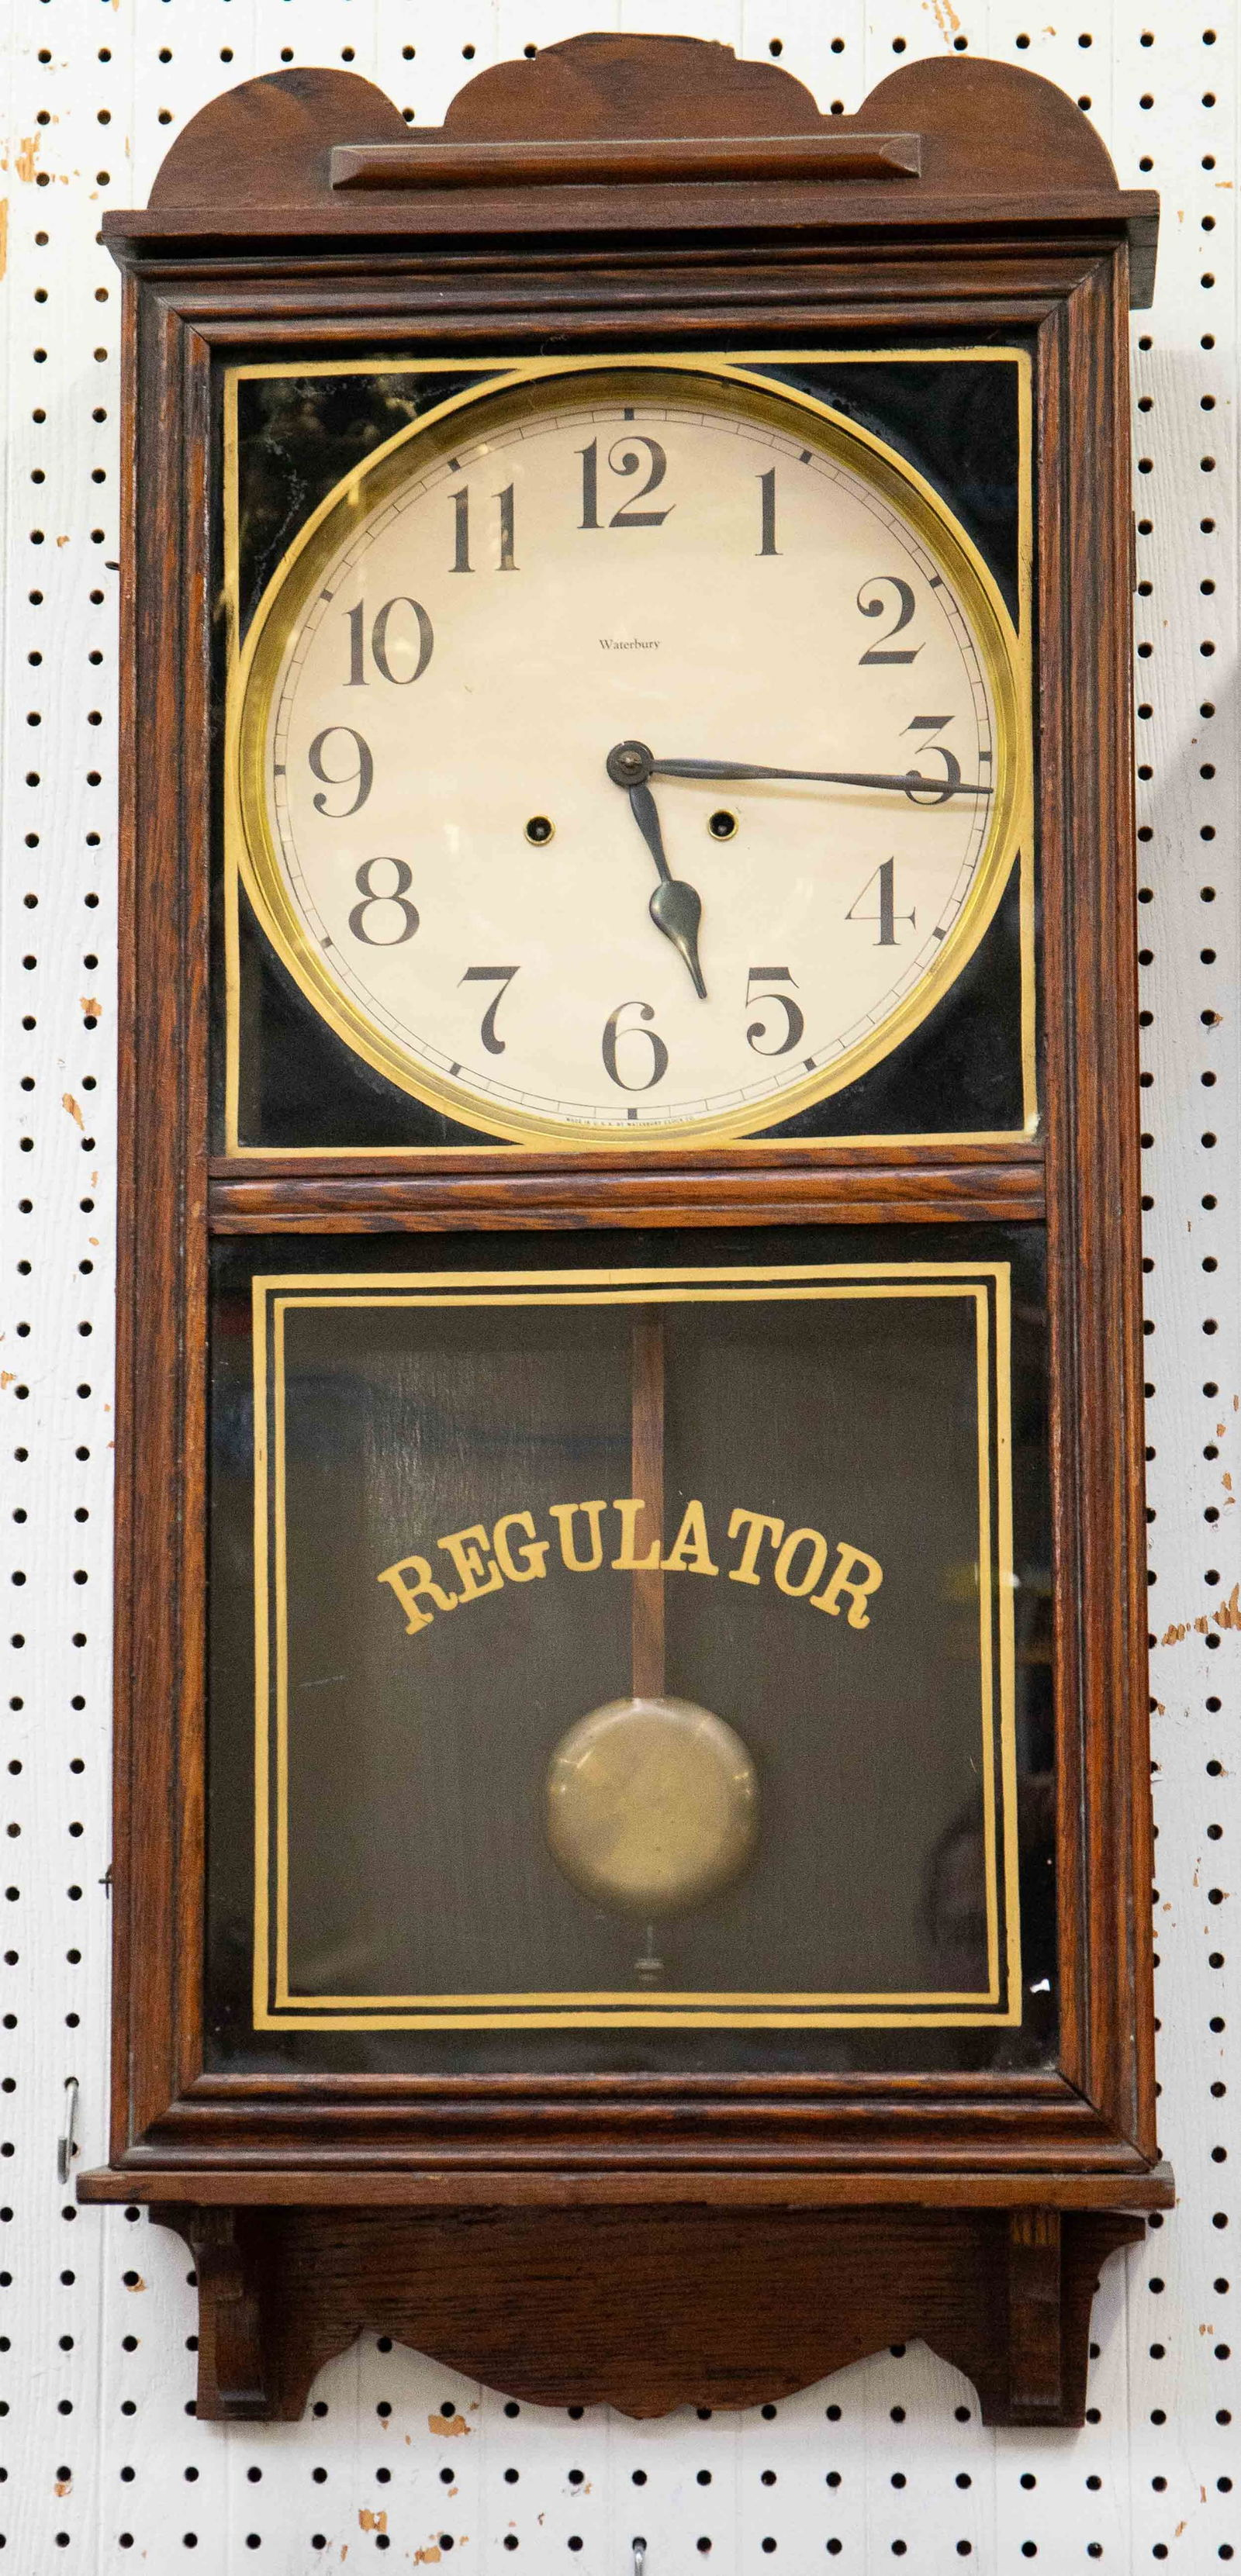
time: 5:15
